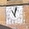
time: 11:02
